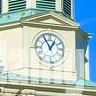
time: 12:55
